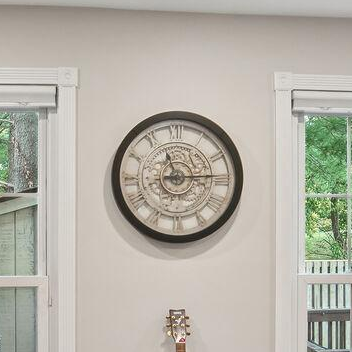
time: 11:14
